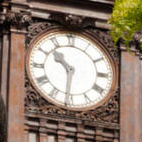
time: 10:31
